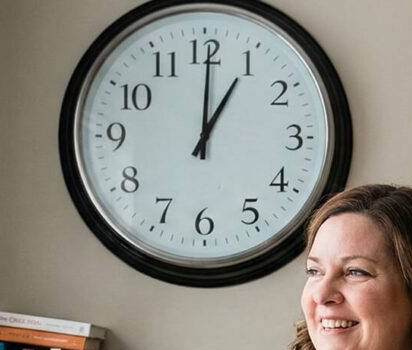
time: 1:00
